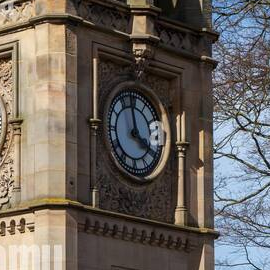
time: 3:58
